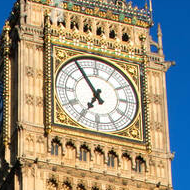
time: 6:54
